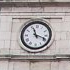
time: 11:18
